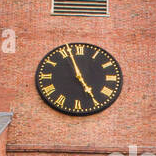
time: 4:56
